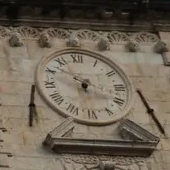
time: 5:51
